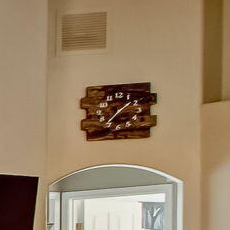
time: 1:36
